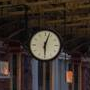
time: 6:03
